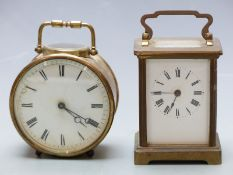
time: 4:20
